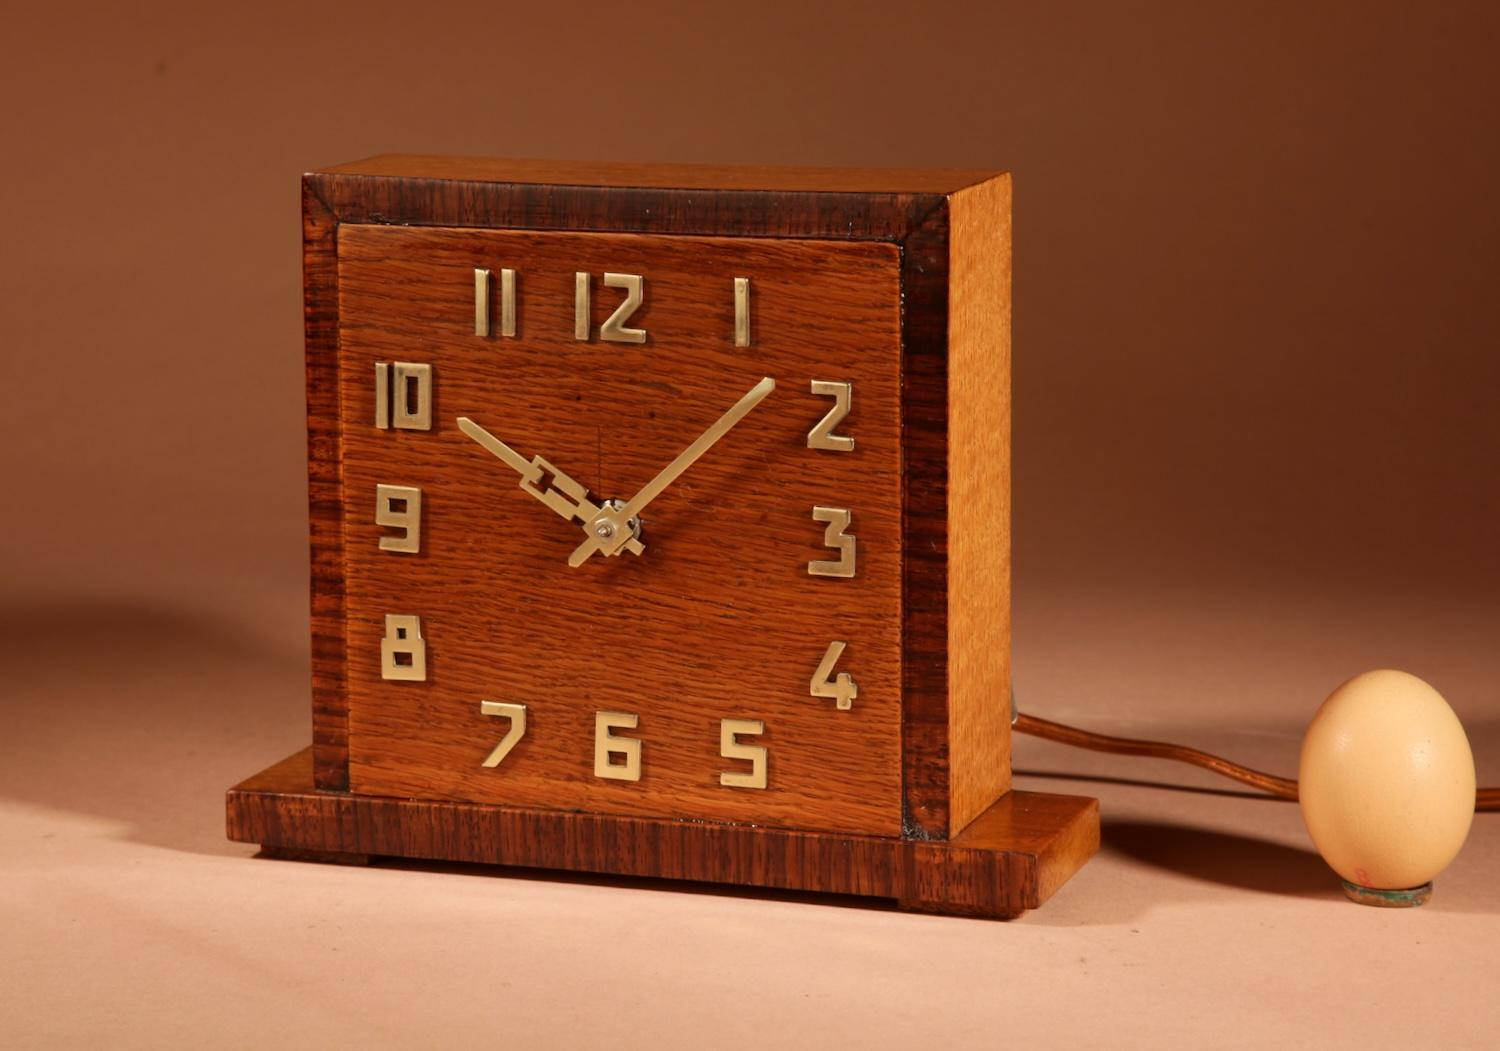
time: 10:07
